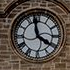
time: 3:58
